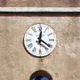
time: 12:20
